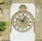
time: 12:48
